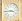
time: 3:44
